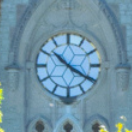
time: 10:20
